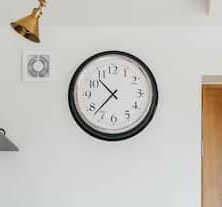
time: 10:37
